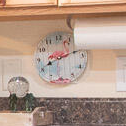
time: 8:12
